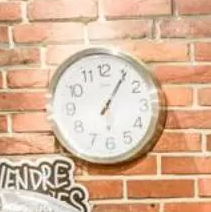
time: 1:05
